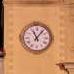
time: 11:06
